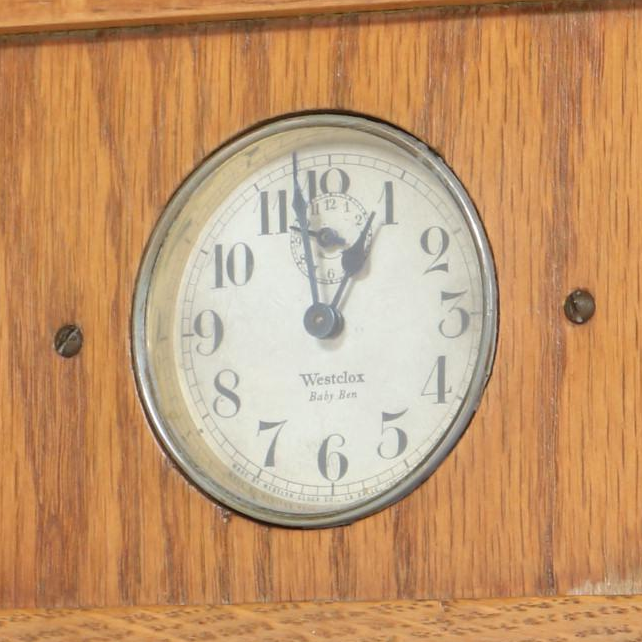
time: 12:57
